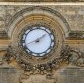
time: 1:41
